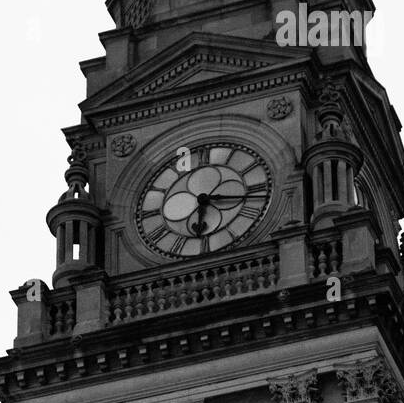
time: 6:16
